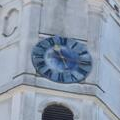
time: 5:15
